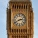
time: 2:40
